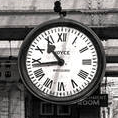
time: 10:43
